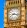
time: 8:17
